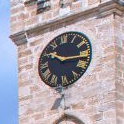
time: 10:15
